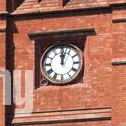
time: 12:02
